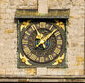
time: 11:07
